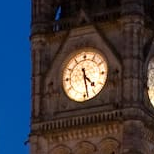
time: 4:28
